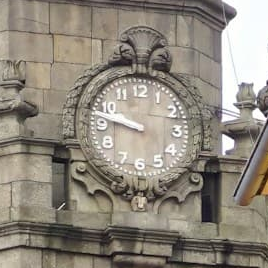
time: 9:47
